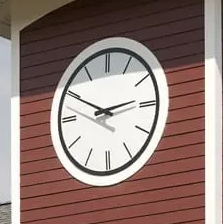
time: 2:49
